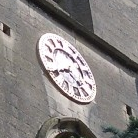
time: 4:40
